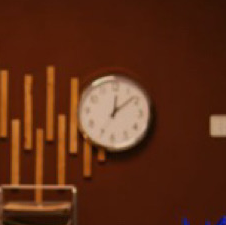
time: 12:08
